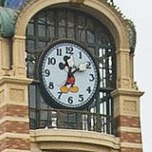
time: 11:35
